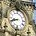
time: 8:41
